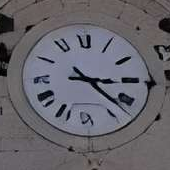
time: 3:22
